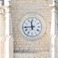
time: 11:44
